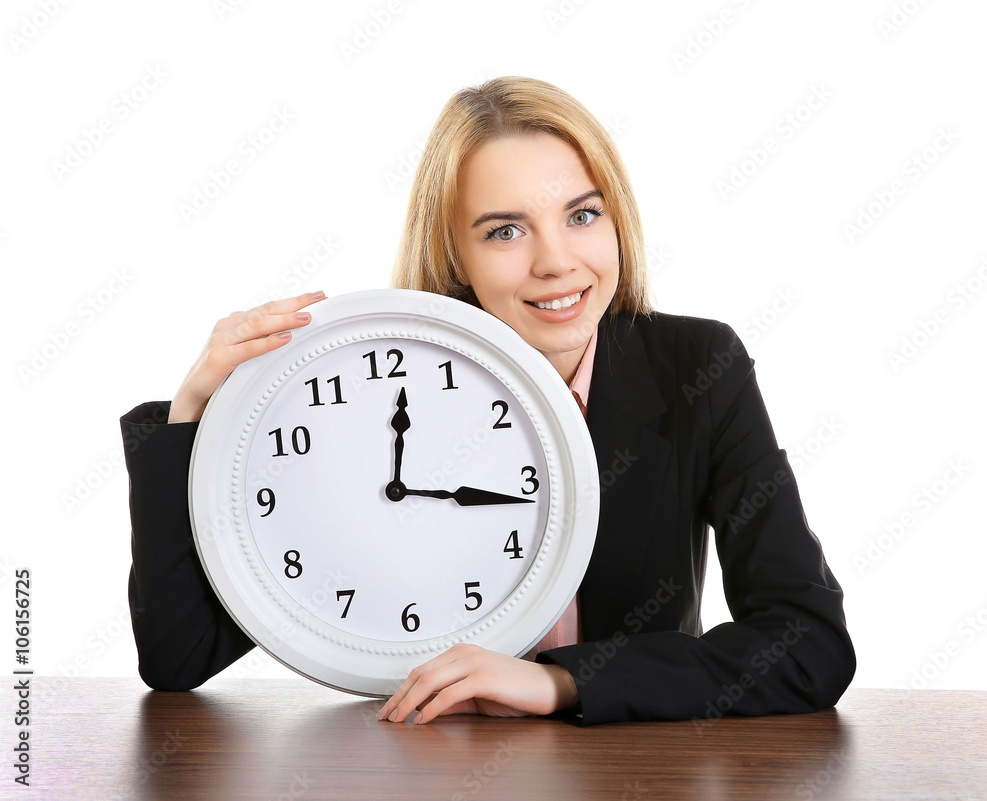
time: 12:16
